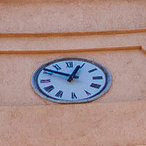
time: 12:50
